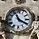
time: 3:55
